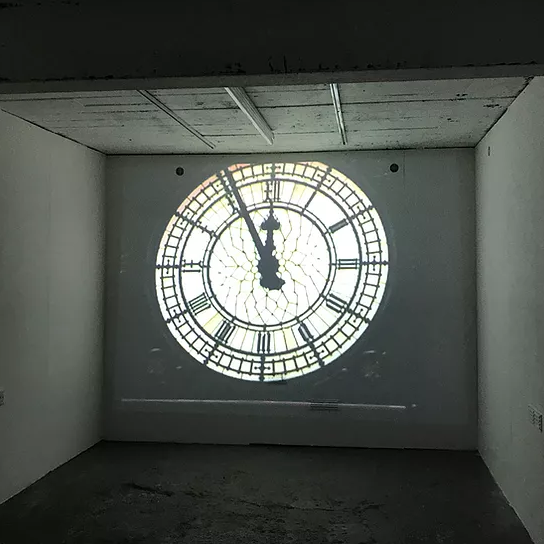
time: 11:55
